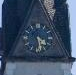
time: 4:29
